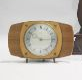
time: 10:14
